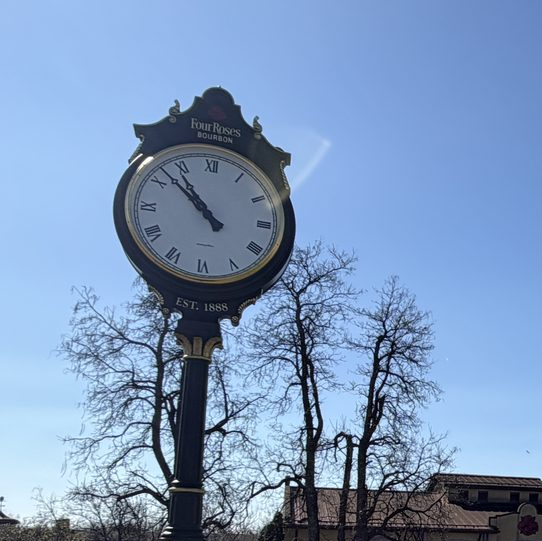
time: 10:52
